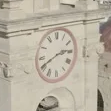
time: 2:40
